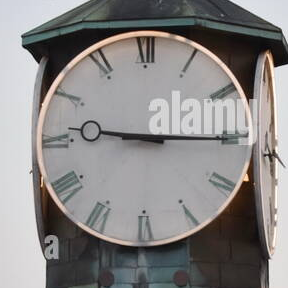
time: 9:15
